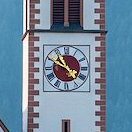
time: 10:49
